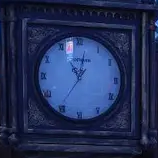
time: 11:02
